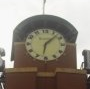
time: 6:07
